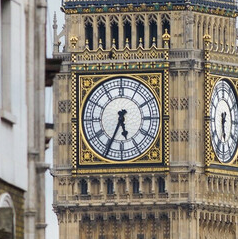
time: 5:34
